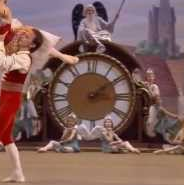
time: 3:09
